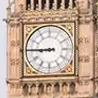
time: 8:45
